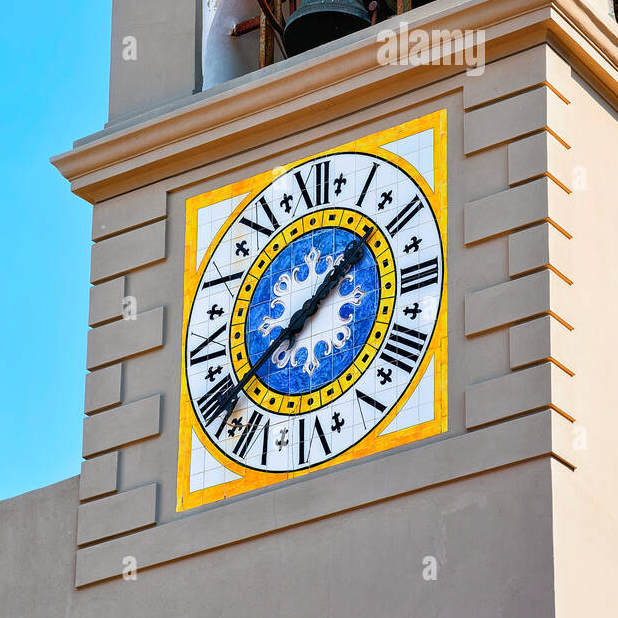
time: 1:38
